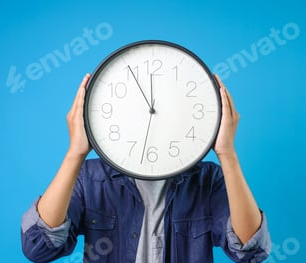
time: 11:55
